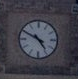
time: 4:49
